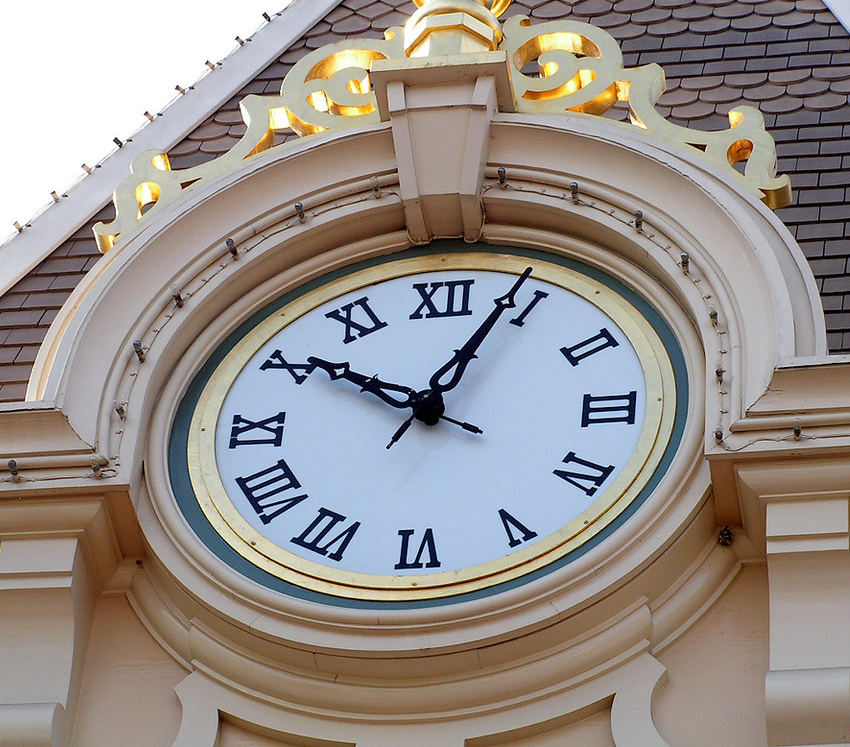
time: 10:03
